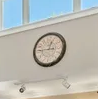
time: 12:45
